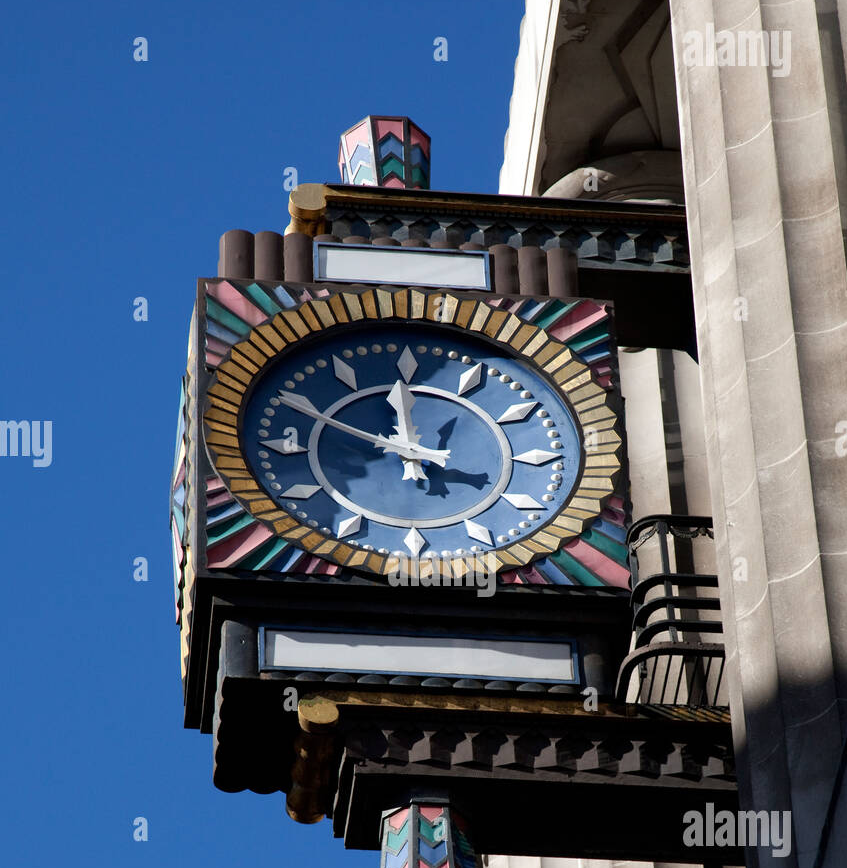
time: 11:49
